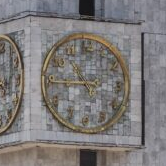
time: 10:44
